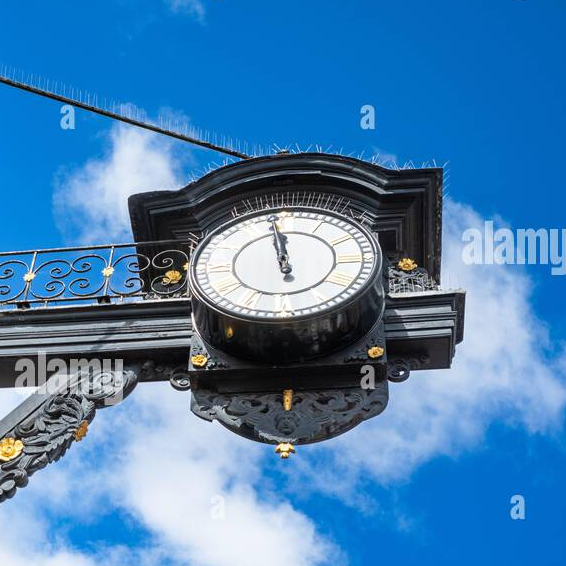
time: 11:58
